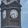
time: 8:27
